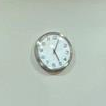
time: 5:03
